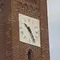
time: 10:24
